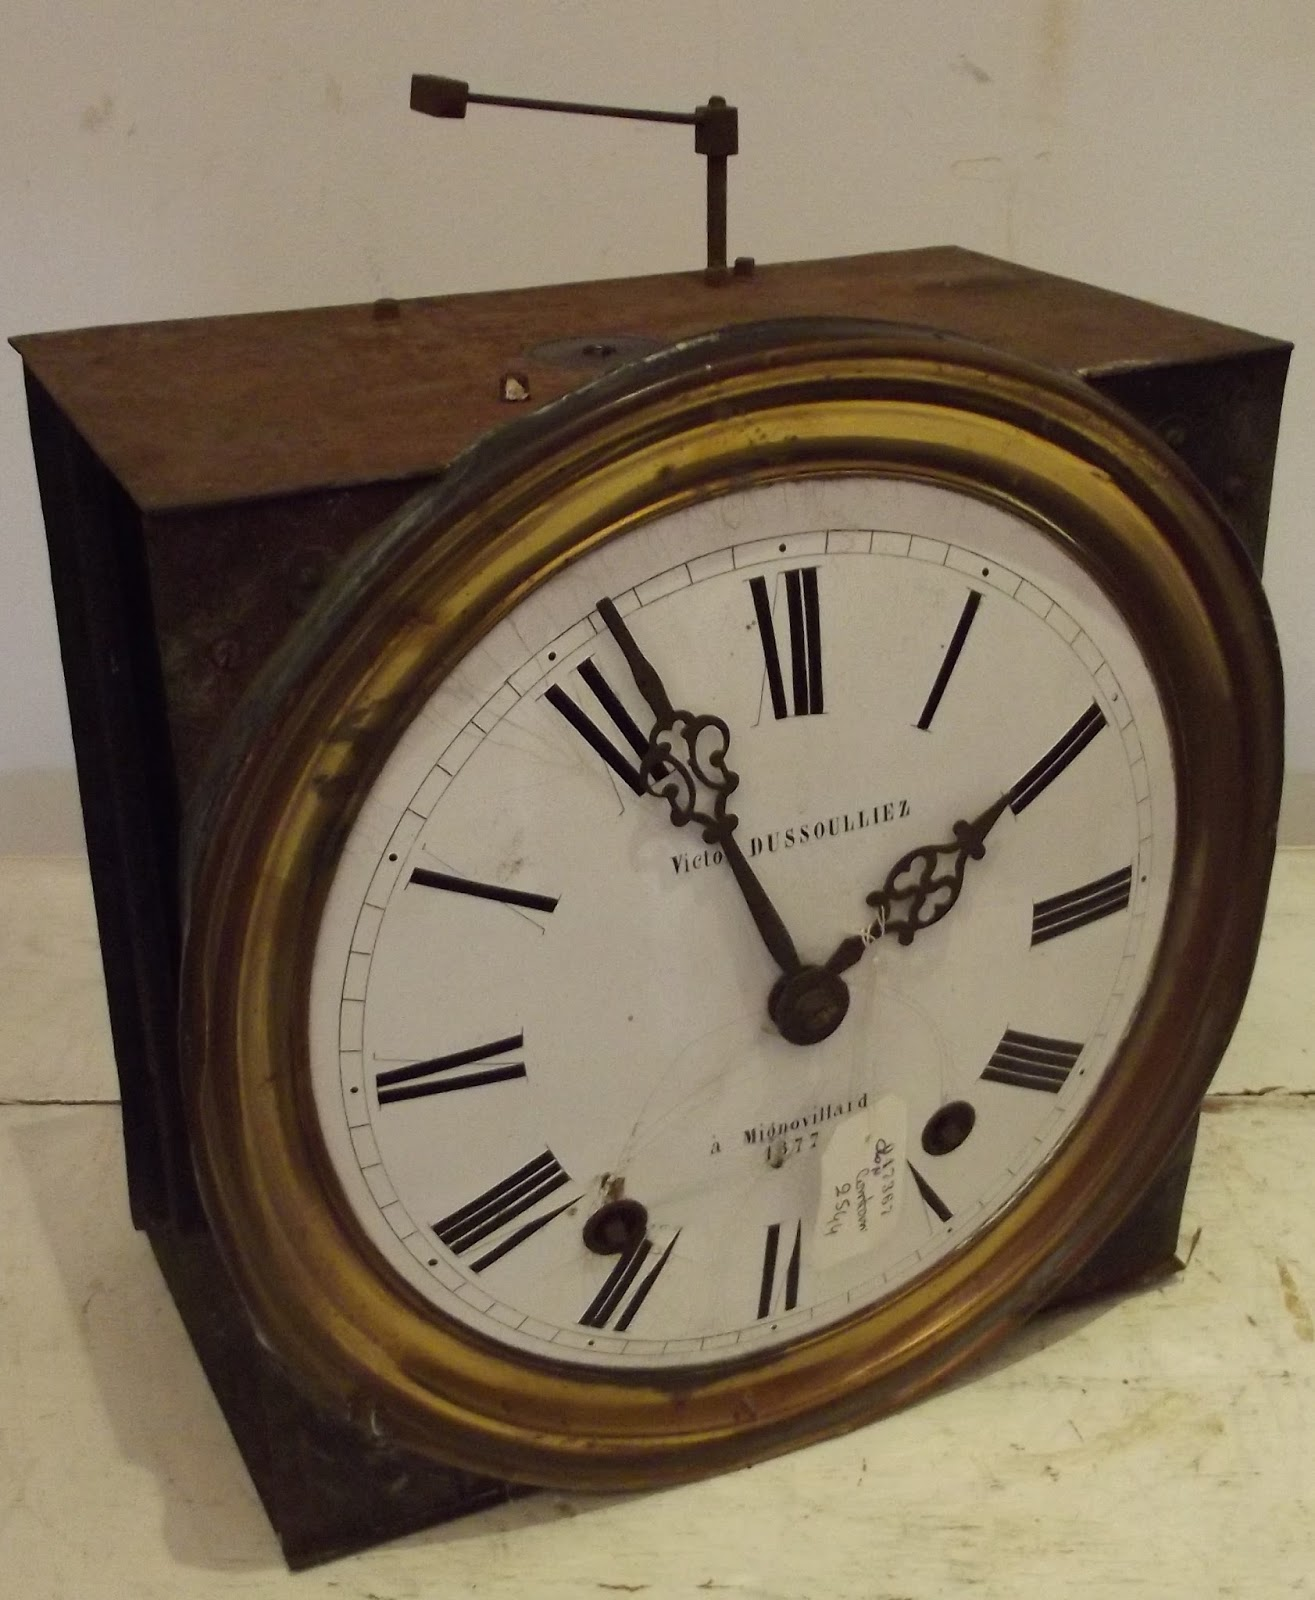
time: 1:56
